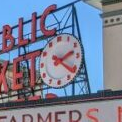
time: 2:21
